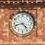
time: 4:42
